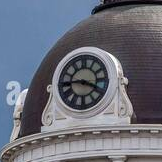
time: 3:43
